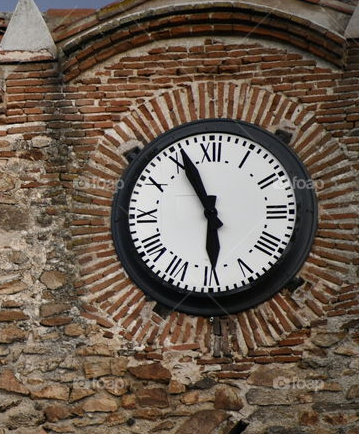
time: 5:55
